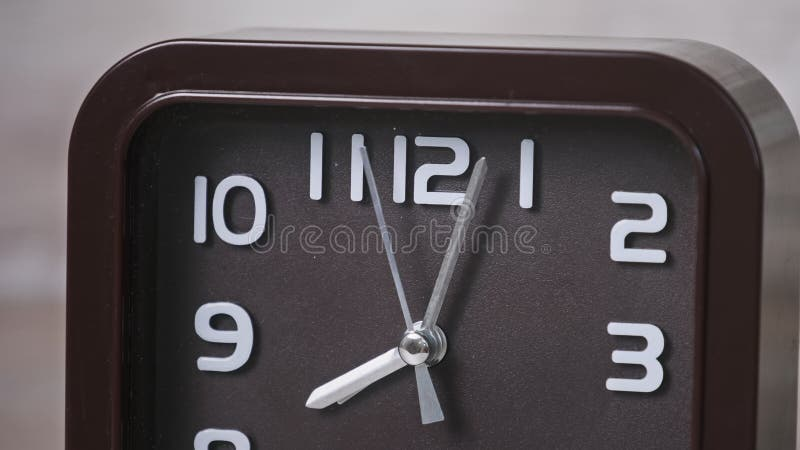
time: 8:03
